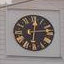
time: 12:13
